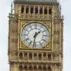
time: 1:32
